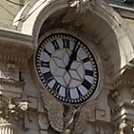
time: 1:03
